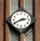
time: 2:40
